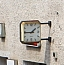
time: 1:45
